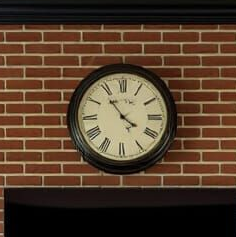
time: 3:53
